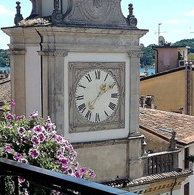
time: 1:36
